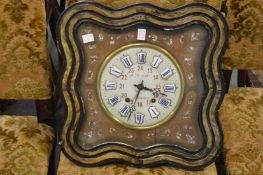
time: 3:33
